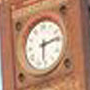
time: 6:13
